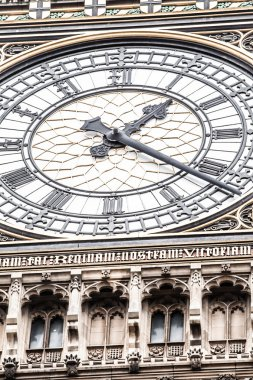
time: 1:21
